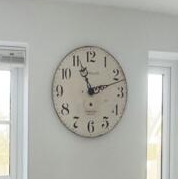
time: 11:12
